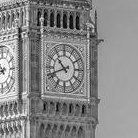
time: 10:41
